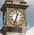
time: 12:32
